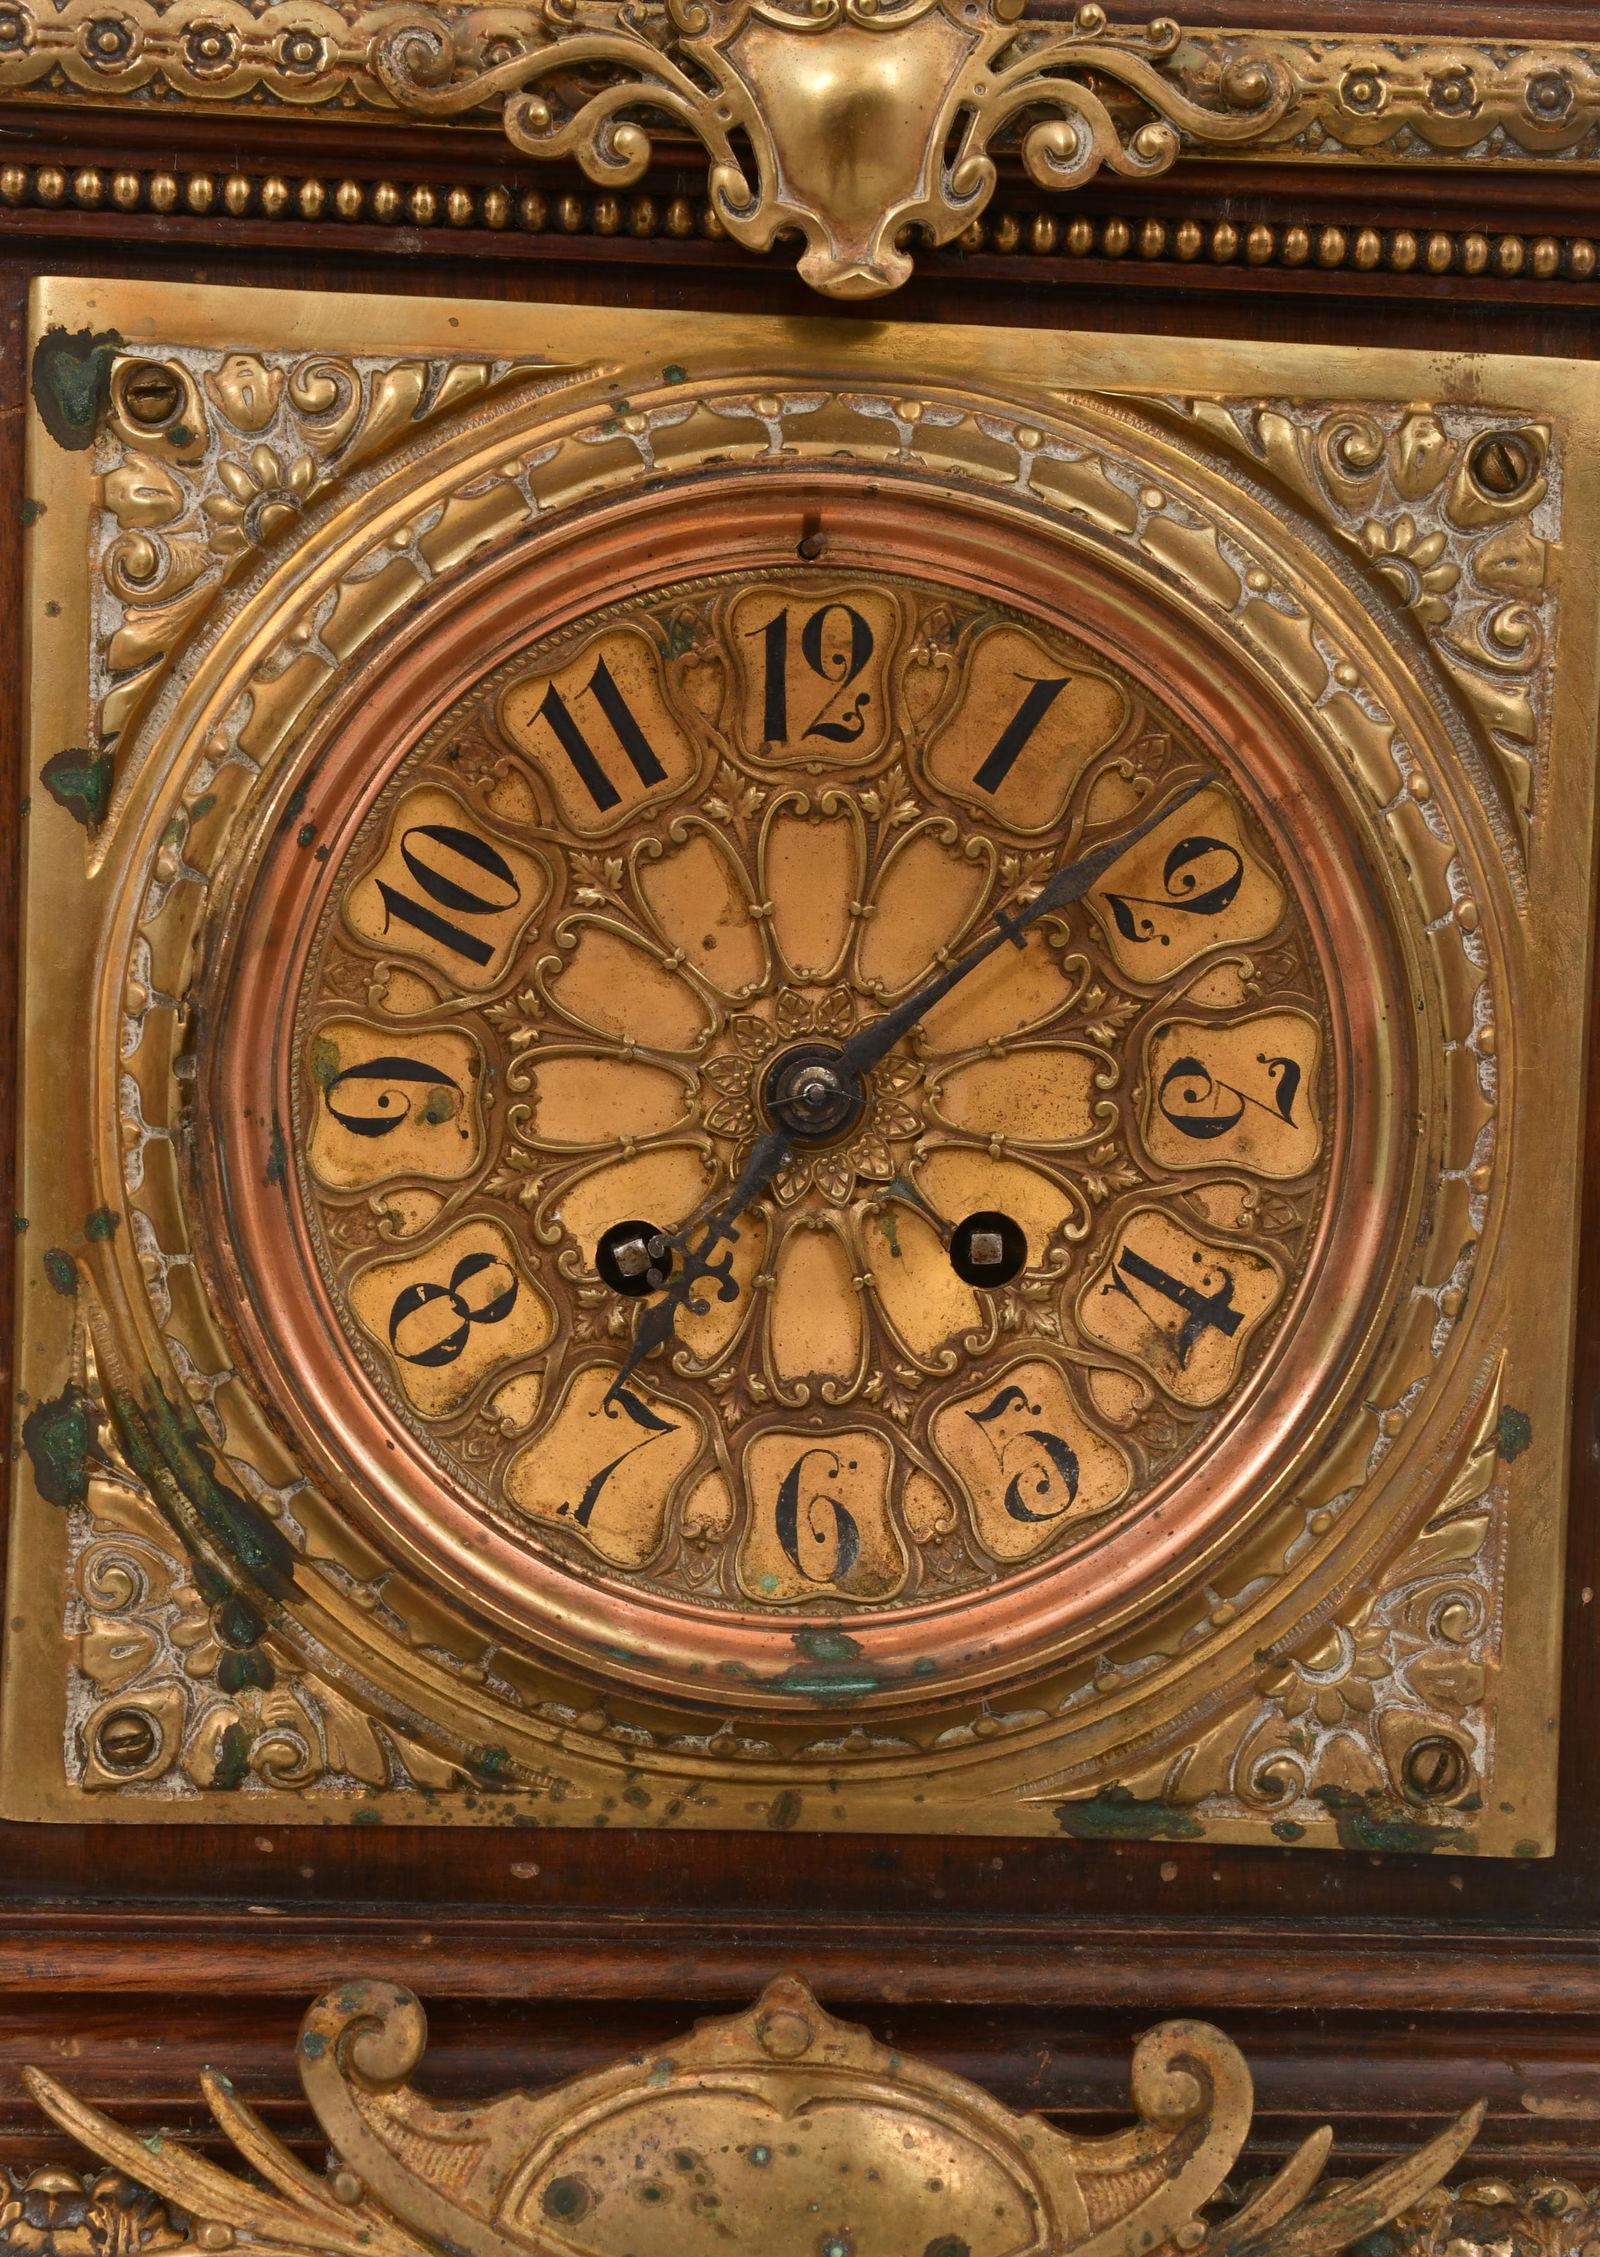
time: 7:07
